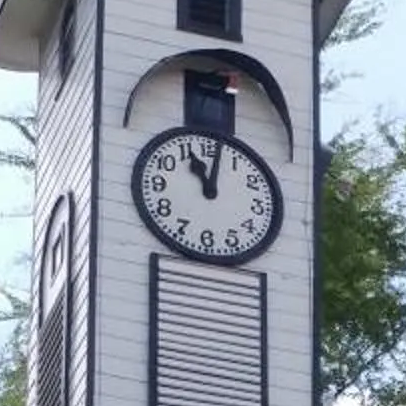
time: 11:01
